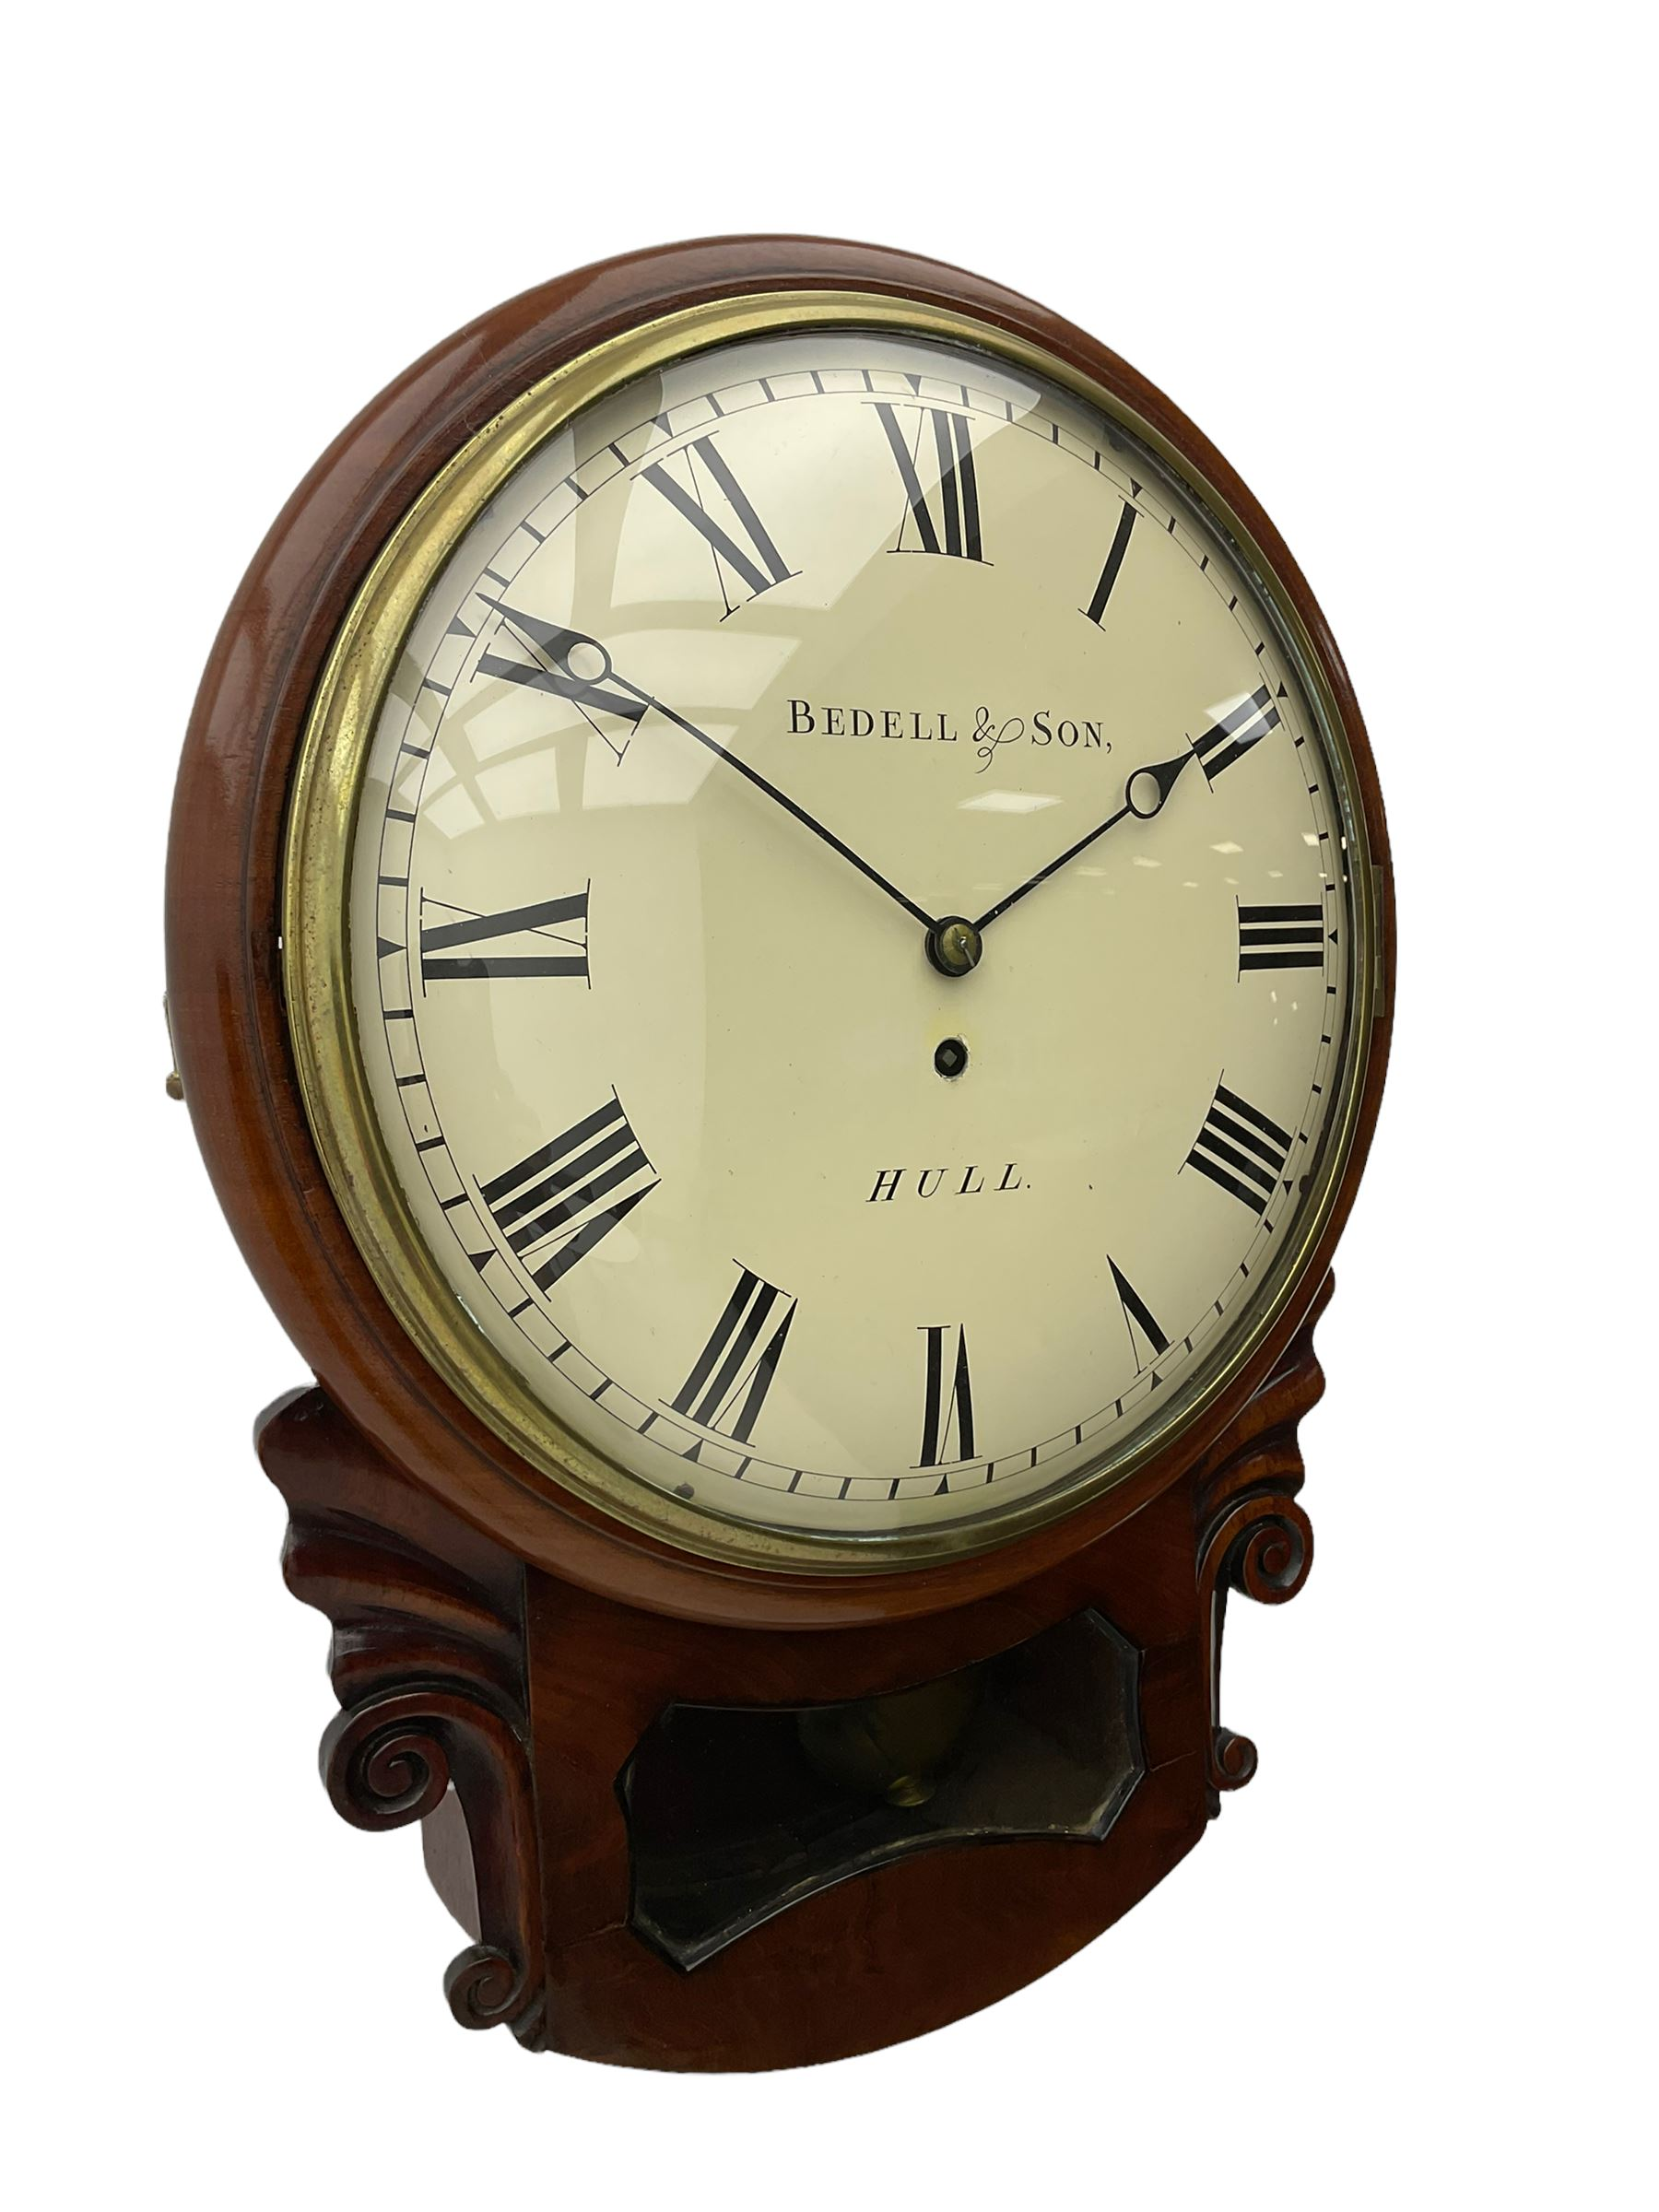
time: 1:50
